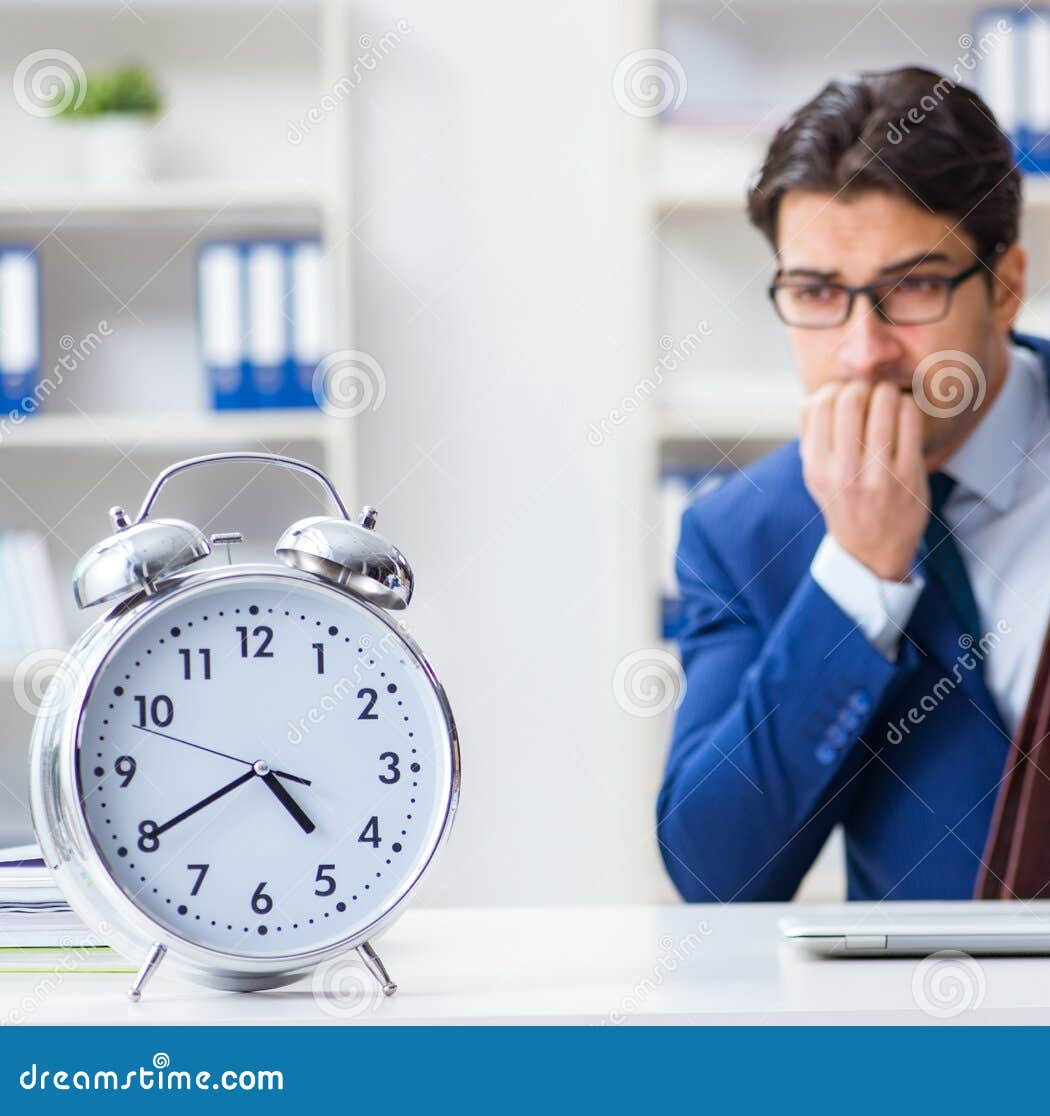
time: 4:40
